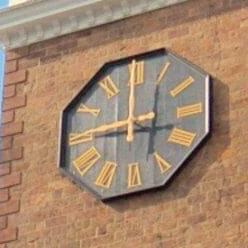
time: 8:59
